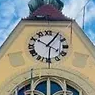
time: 10:05
